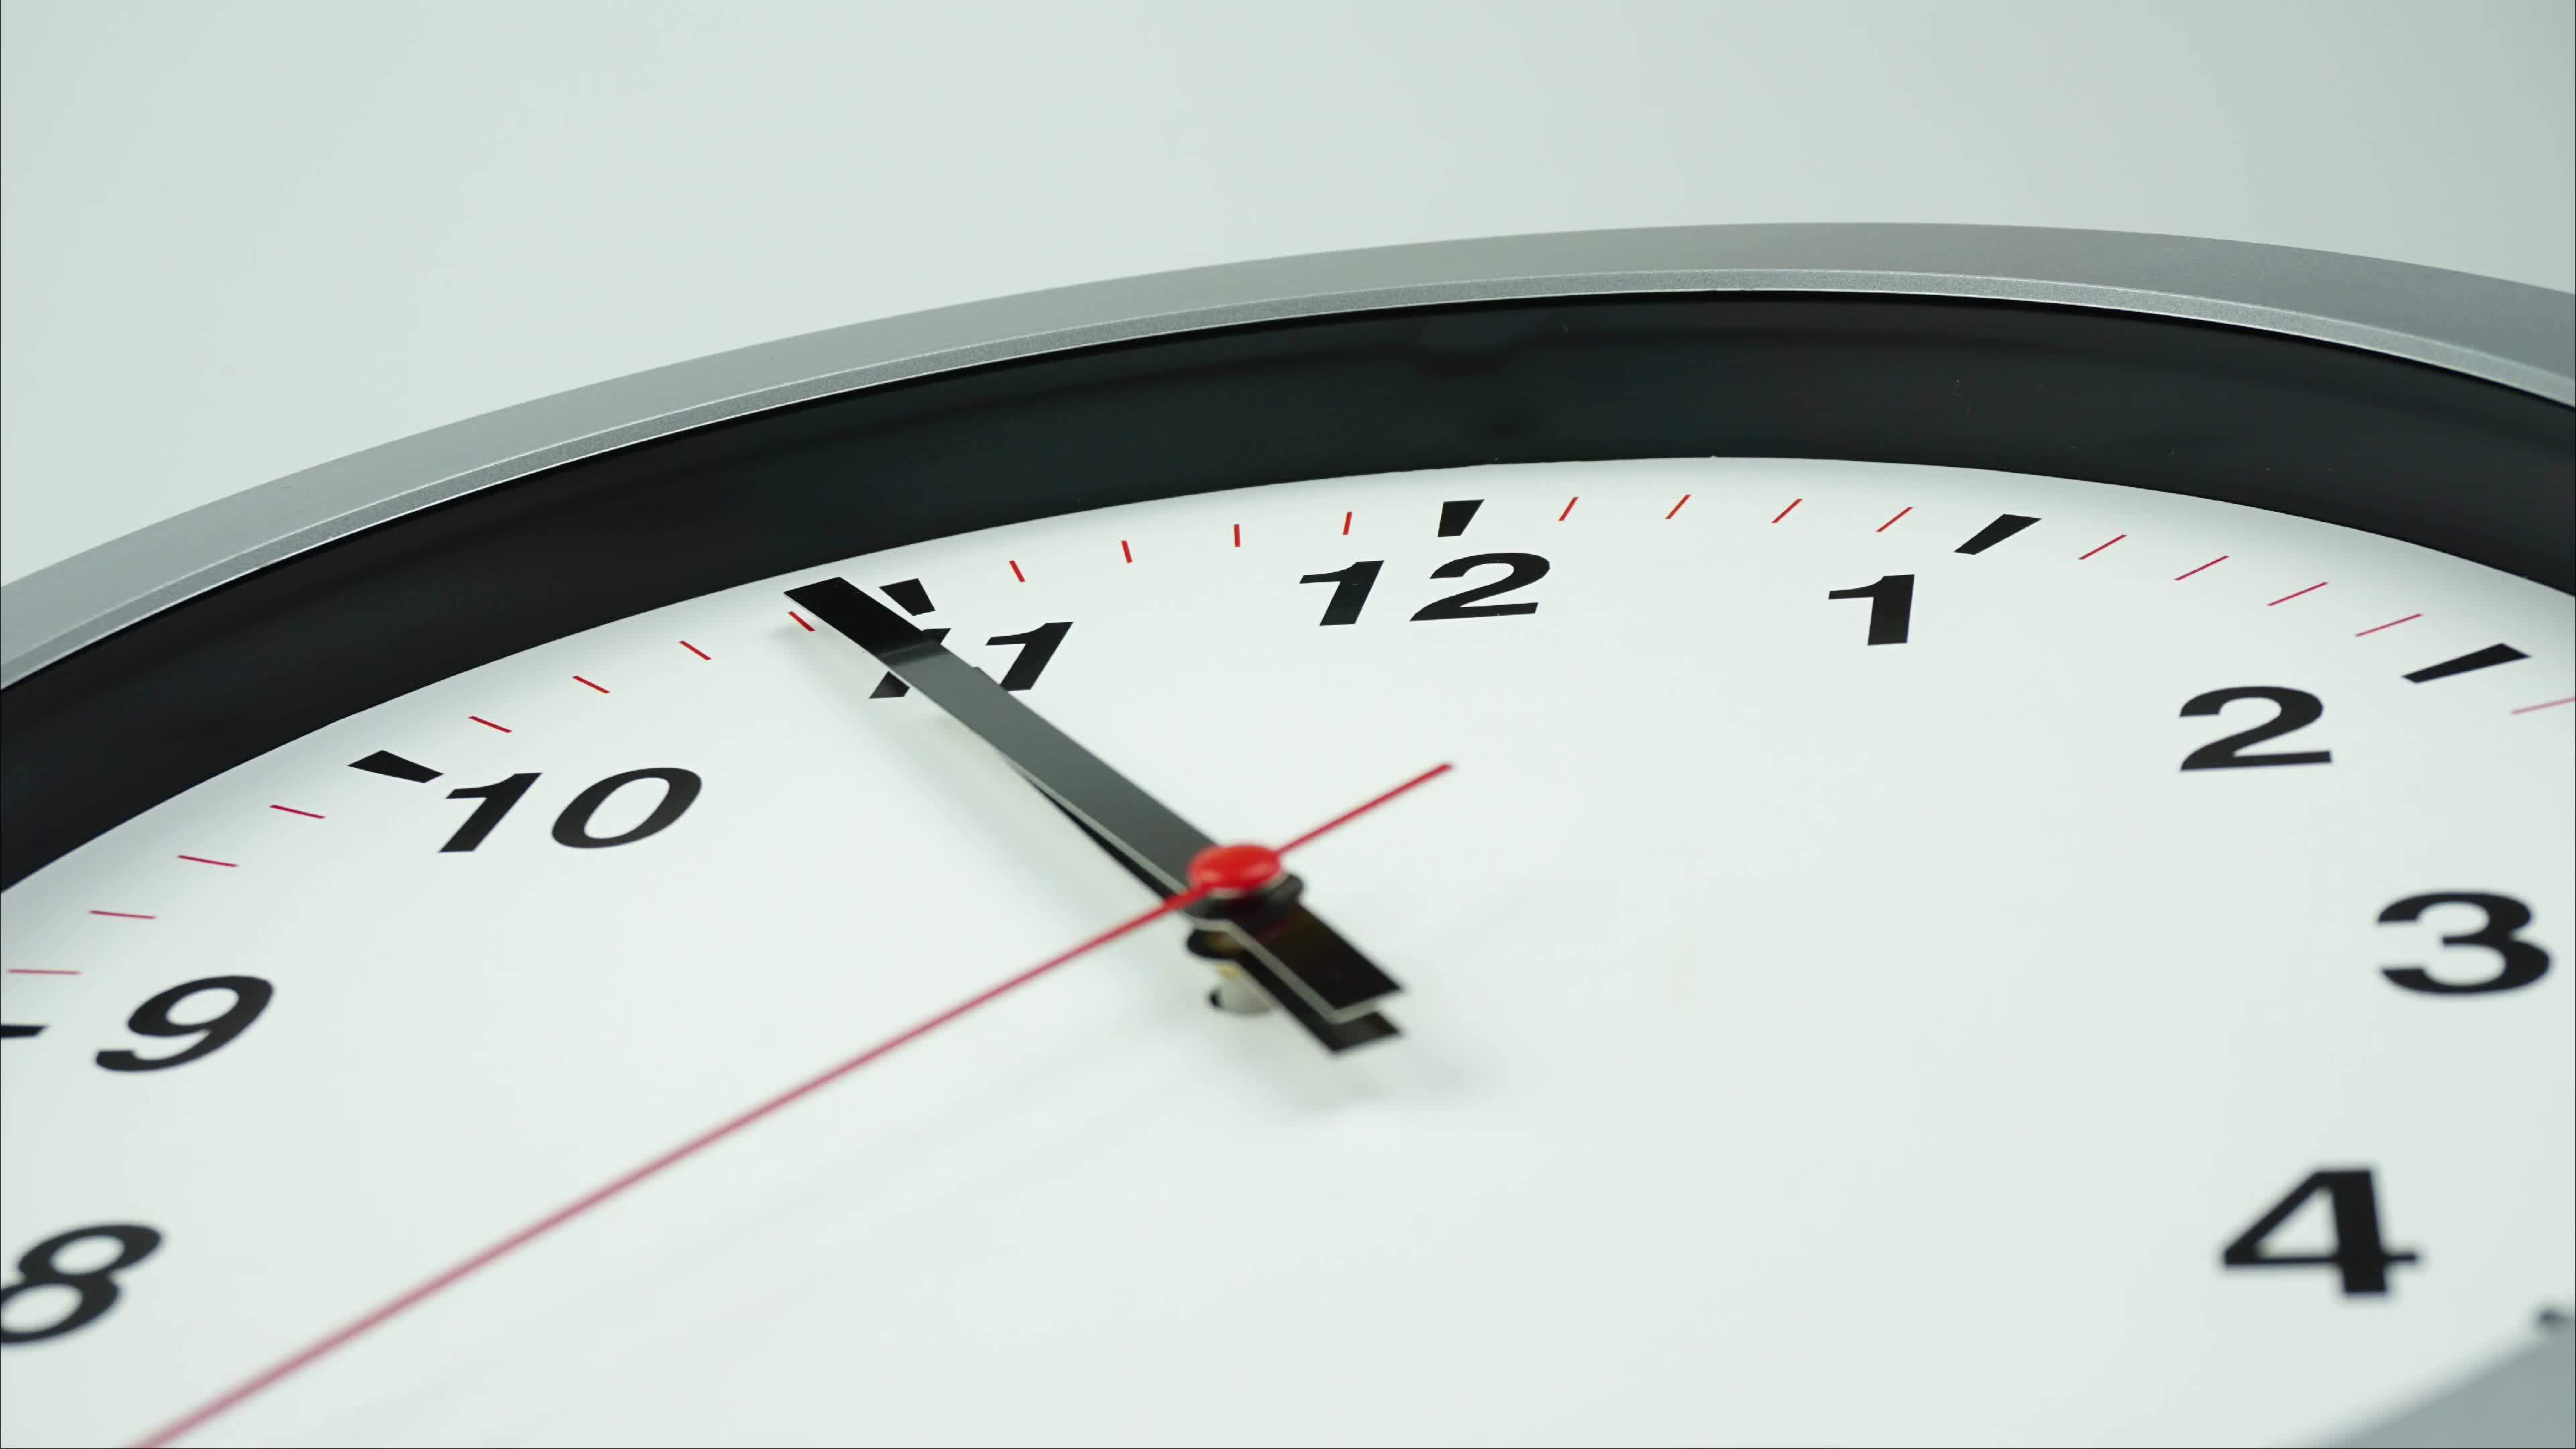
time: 10:54
